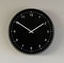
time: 1:50
